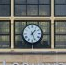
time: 1:26
